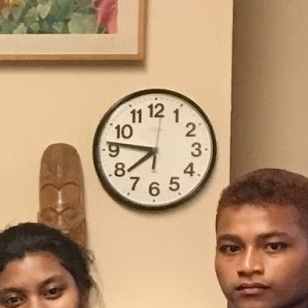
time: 7:46
